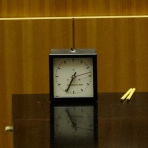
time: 2:34
